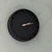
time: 2:12
